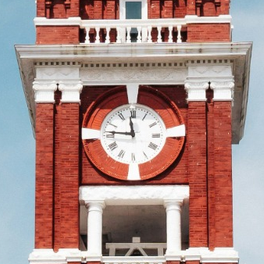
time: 11:45
